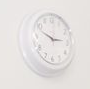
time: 2:48
